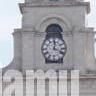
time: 12:18
